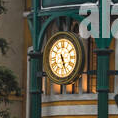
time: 5:26
